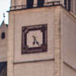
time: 6:23
